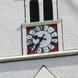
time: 9:36
